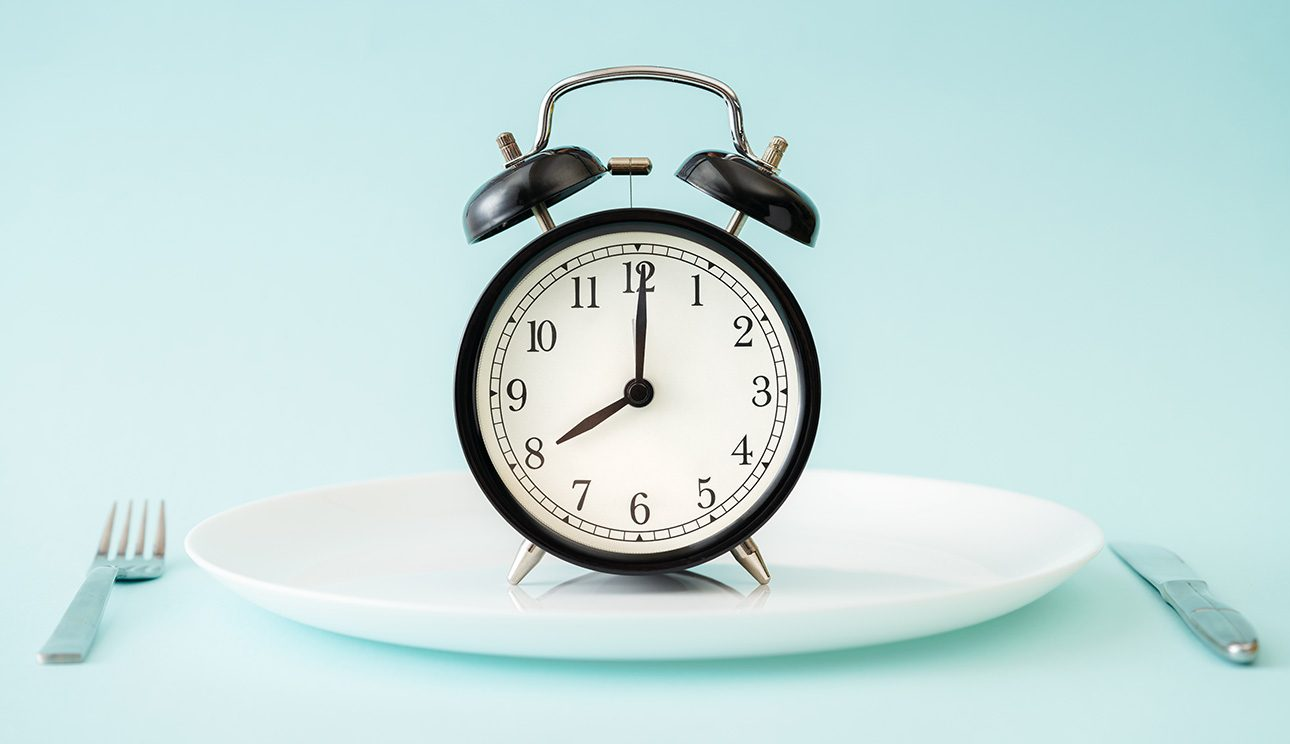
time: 8:00
